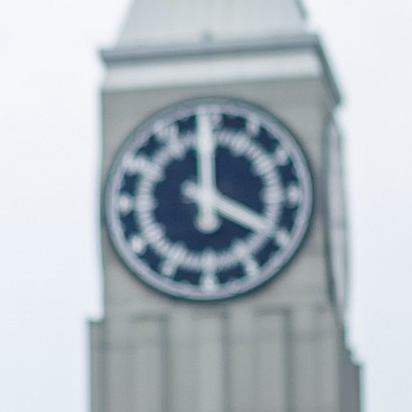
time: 3:59
